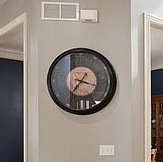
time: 3:36
